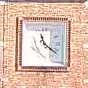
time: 11:21
